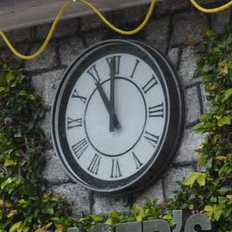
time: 11:00
